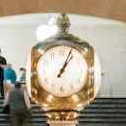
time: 1:03
